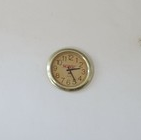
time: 2:24
